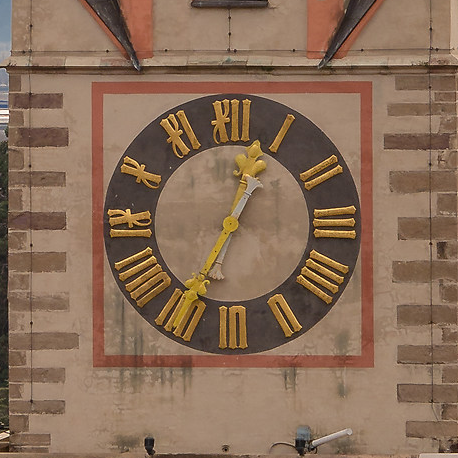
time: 12:34
